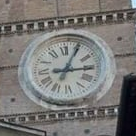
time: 3:04
